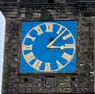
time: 3:07
